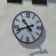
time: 10:41
